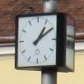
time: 1:09
